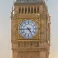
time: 4:44
